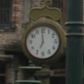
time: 6:59
